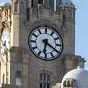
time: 6:20
